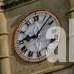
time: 9:07
